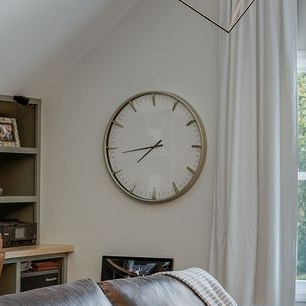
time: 7:43
